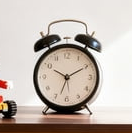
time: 10:10
